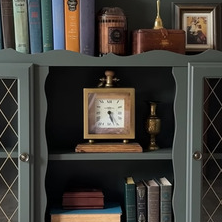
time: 5:24
